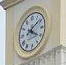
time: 4:09
